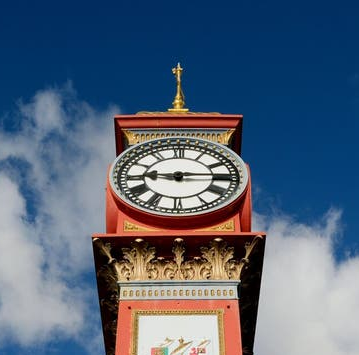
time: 9:14
